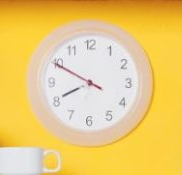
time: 7:49
